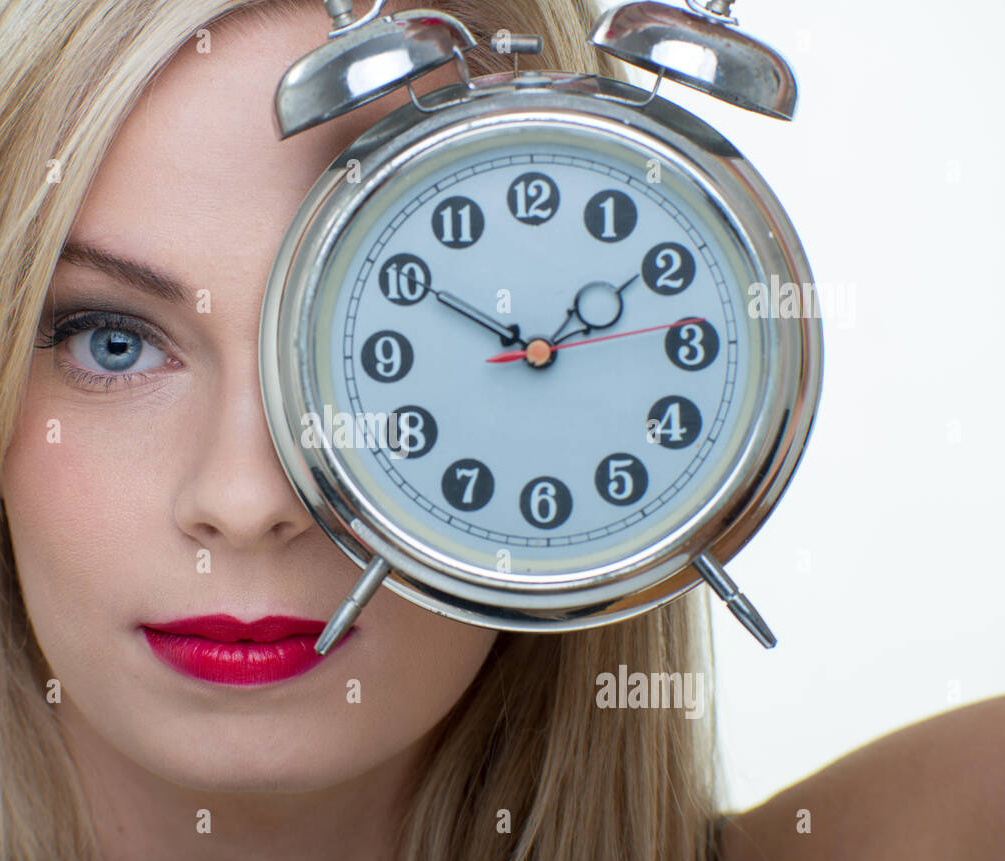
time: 1:50
